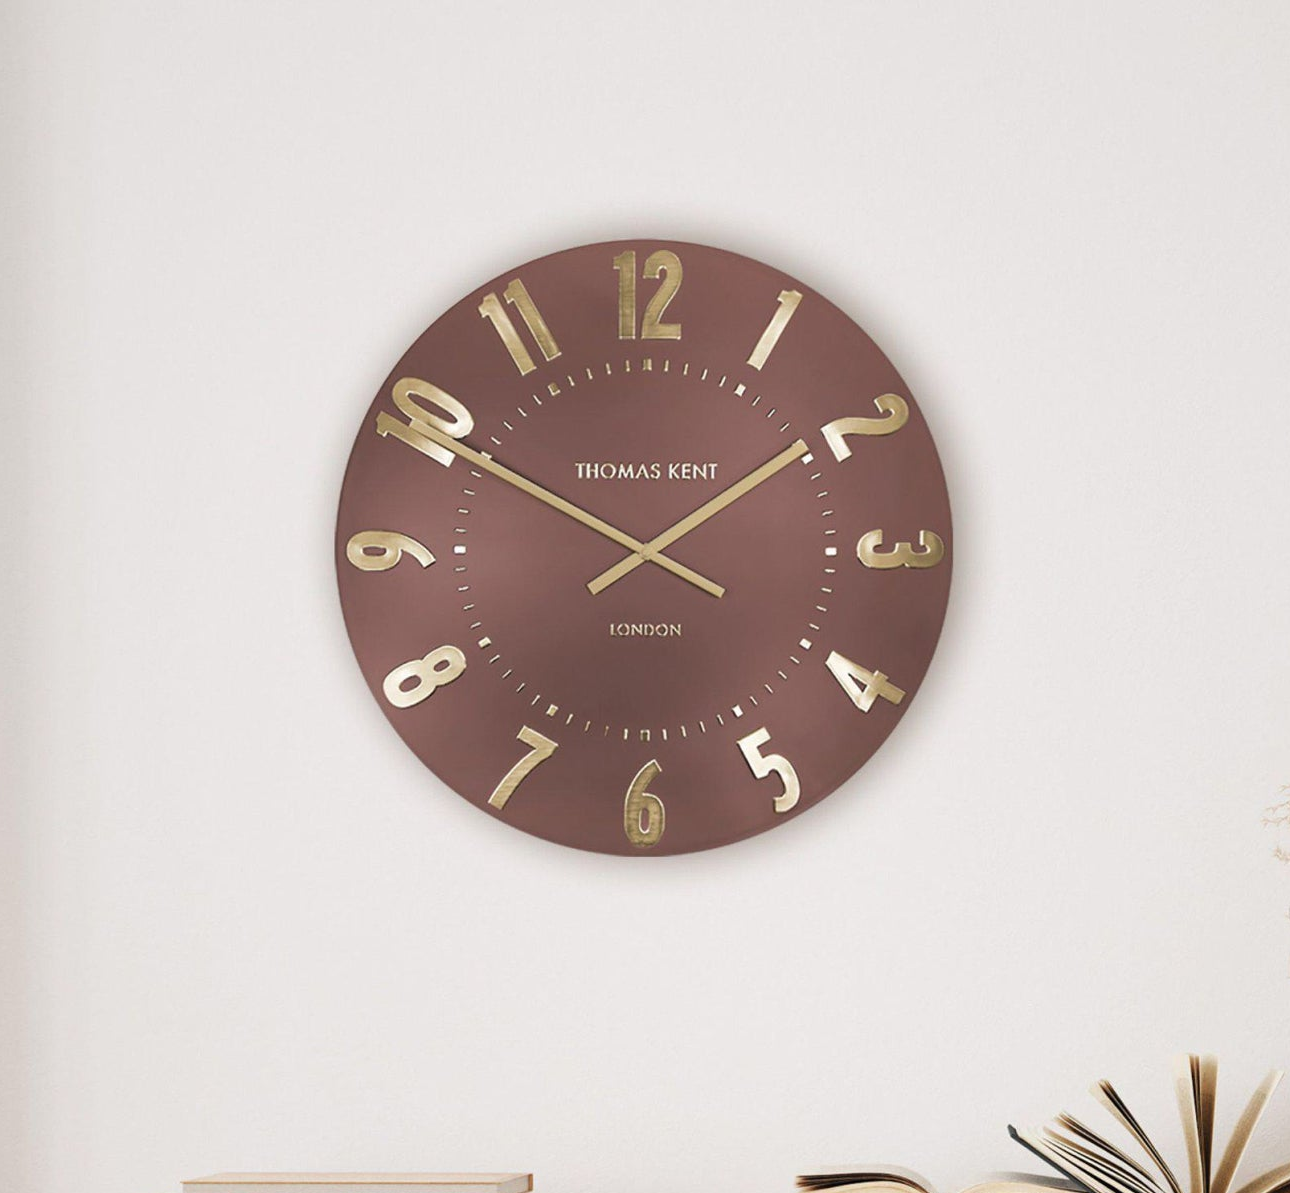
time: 1:50
